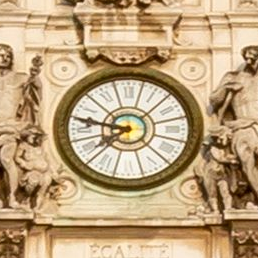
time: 7:47
